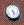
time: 4:28
